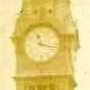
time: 11:17
